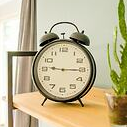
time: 9:15
